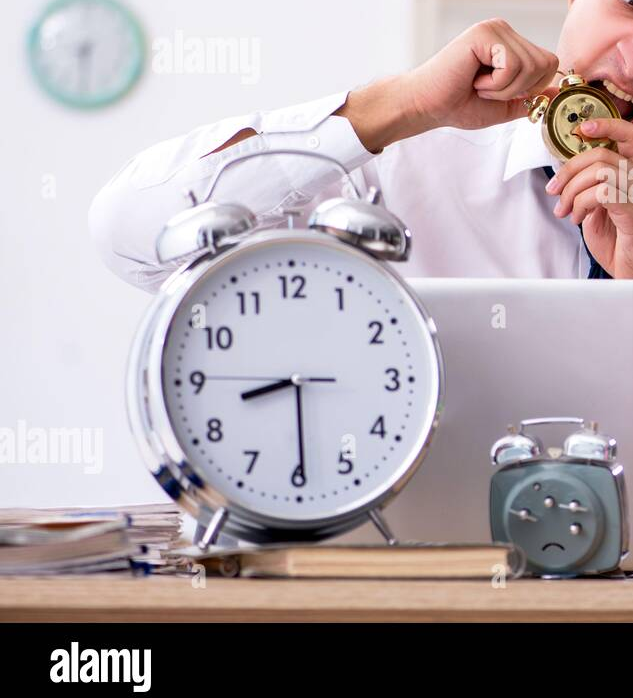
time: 8:29
